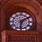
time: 6:09
